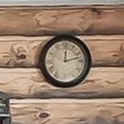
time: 12:12
